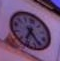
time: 7:25
